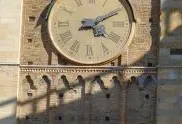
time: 4:10
